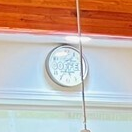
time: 5:35
